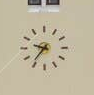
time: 9:36
